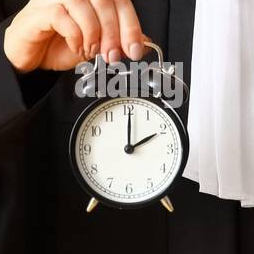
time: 2:00
